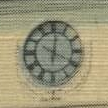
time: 12:19
